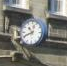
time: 10:41
